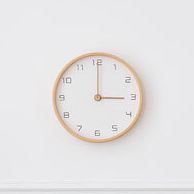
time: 3:00
